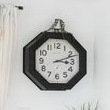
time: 3:11
